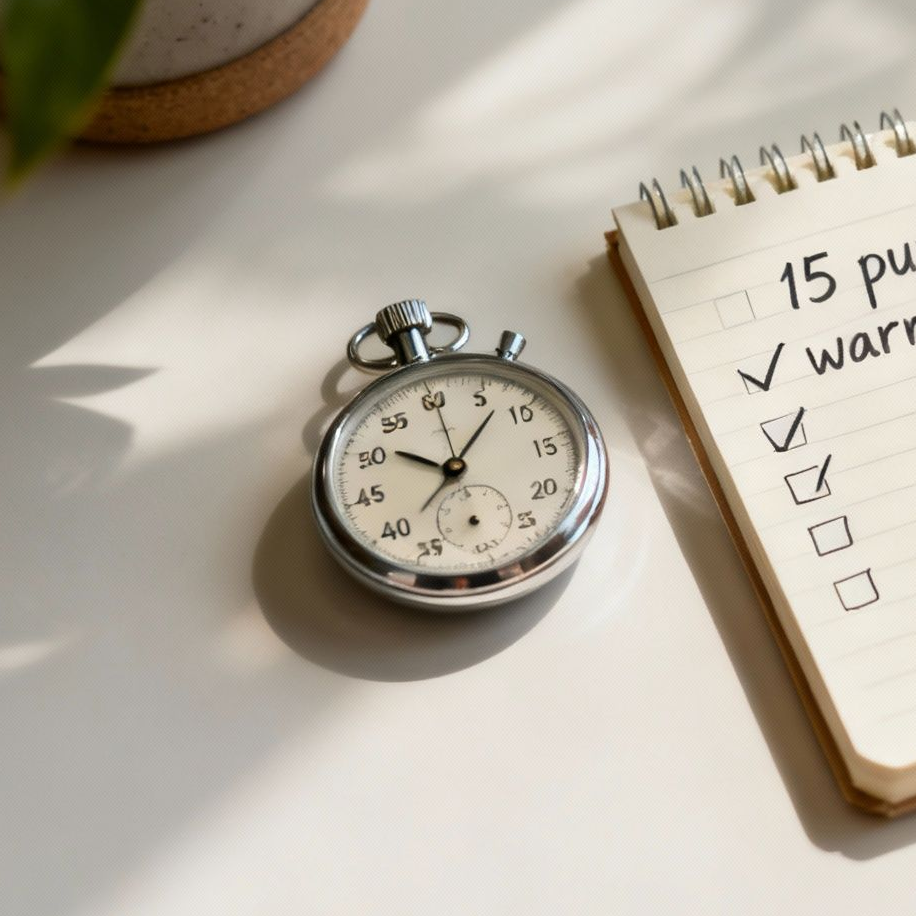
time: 10:07
